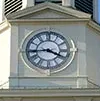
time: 3:43
